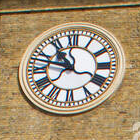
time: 10:47
